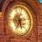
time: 5:35
